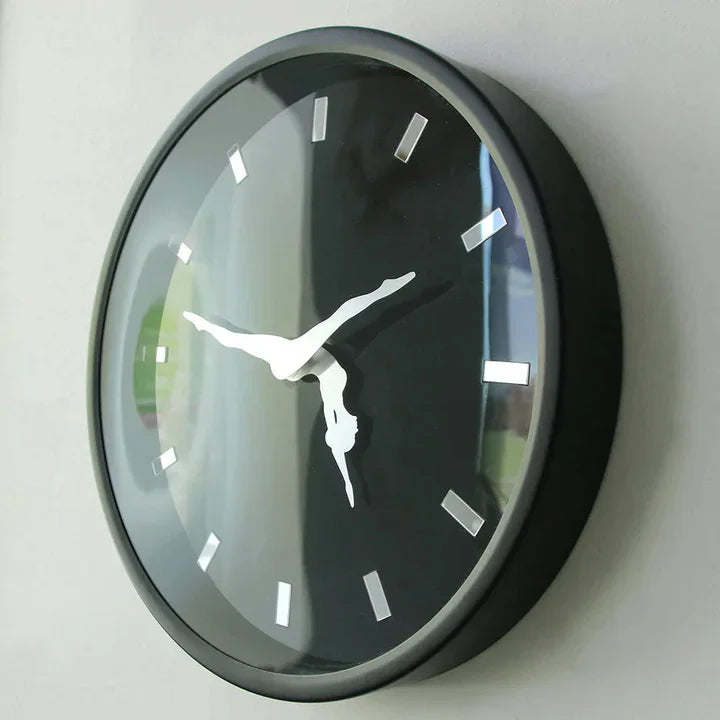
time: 1:47
